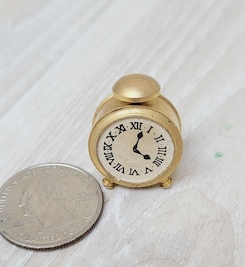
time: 4:02
